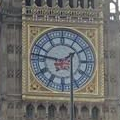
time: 1:46
